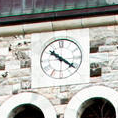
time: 10:21
